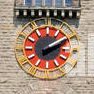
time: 2:09
